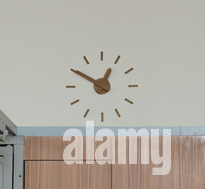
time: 12:50
